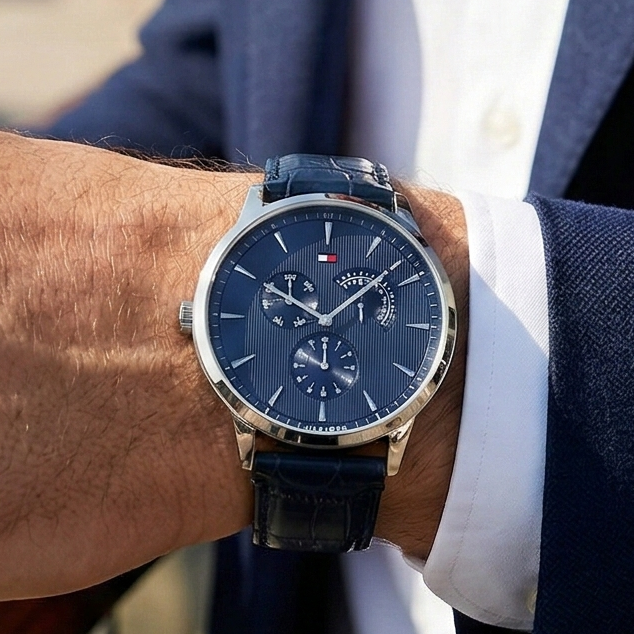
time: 10:07
